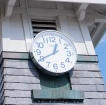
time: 12:40
